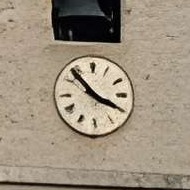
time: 3:53
